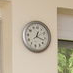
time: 12:17
